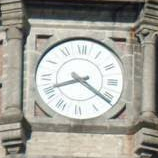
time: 8:21
